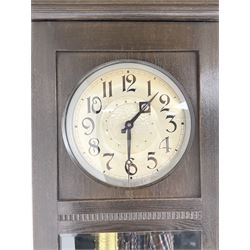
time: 1:30
